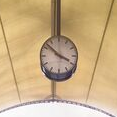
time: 3:52
